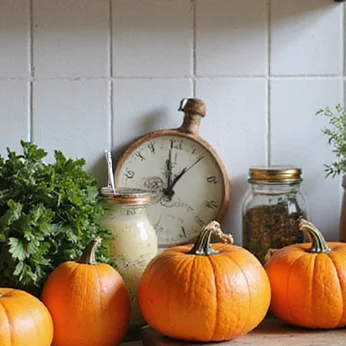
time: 12:58
